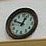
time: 12:49
